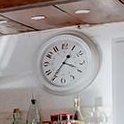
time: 3:35
